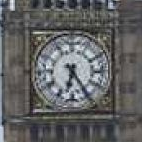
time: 6:24
